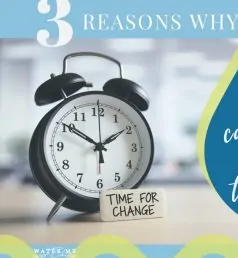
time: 1:50
